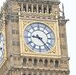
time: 9:23
